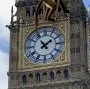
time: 1:53
